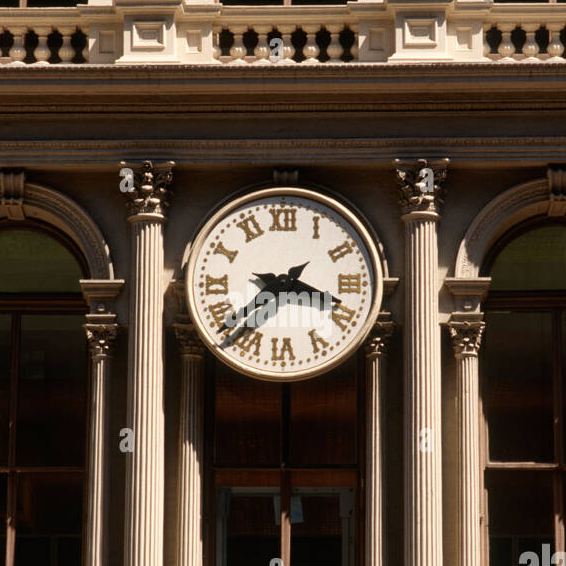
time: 3:38
